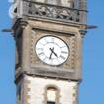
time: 4:32
